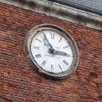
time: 2:54
